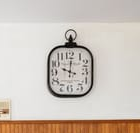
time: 10:00
